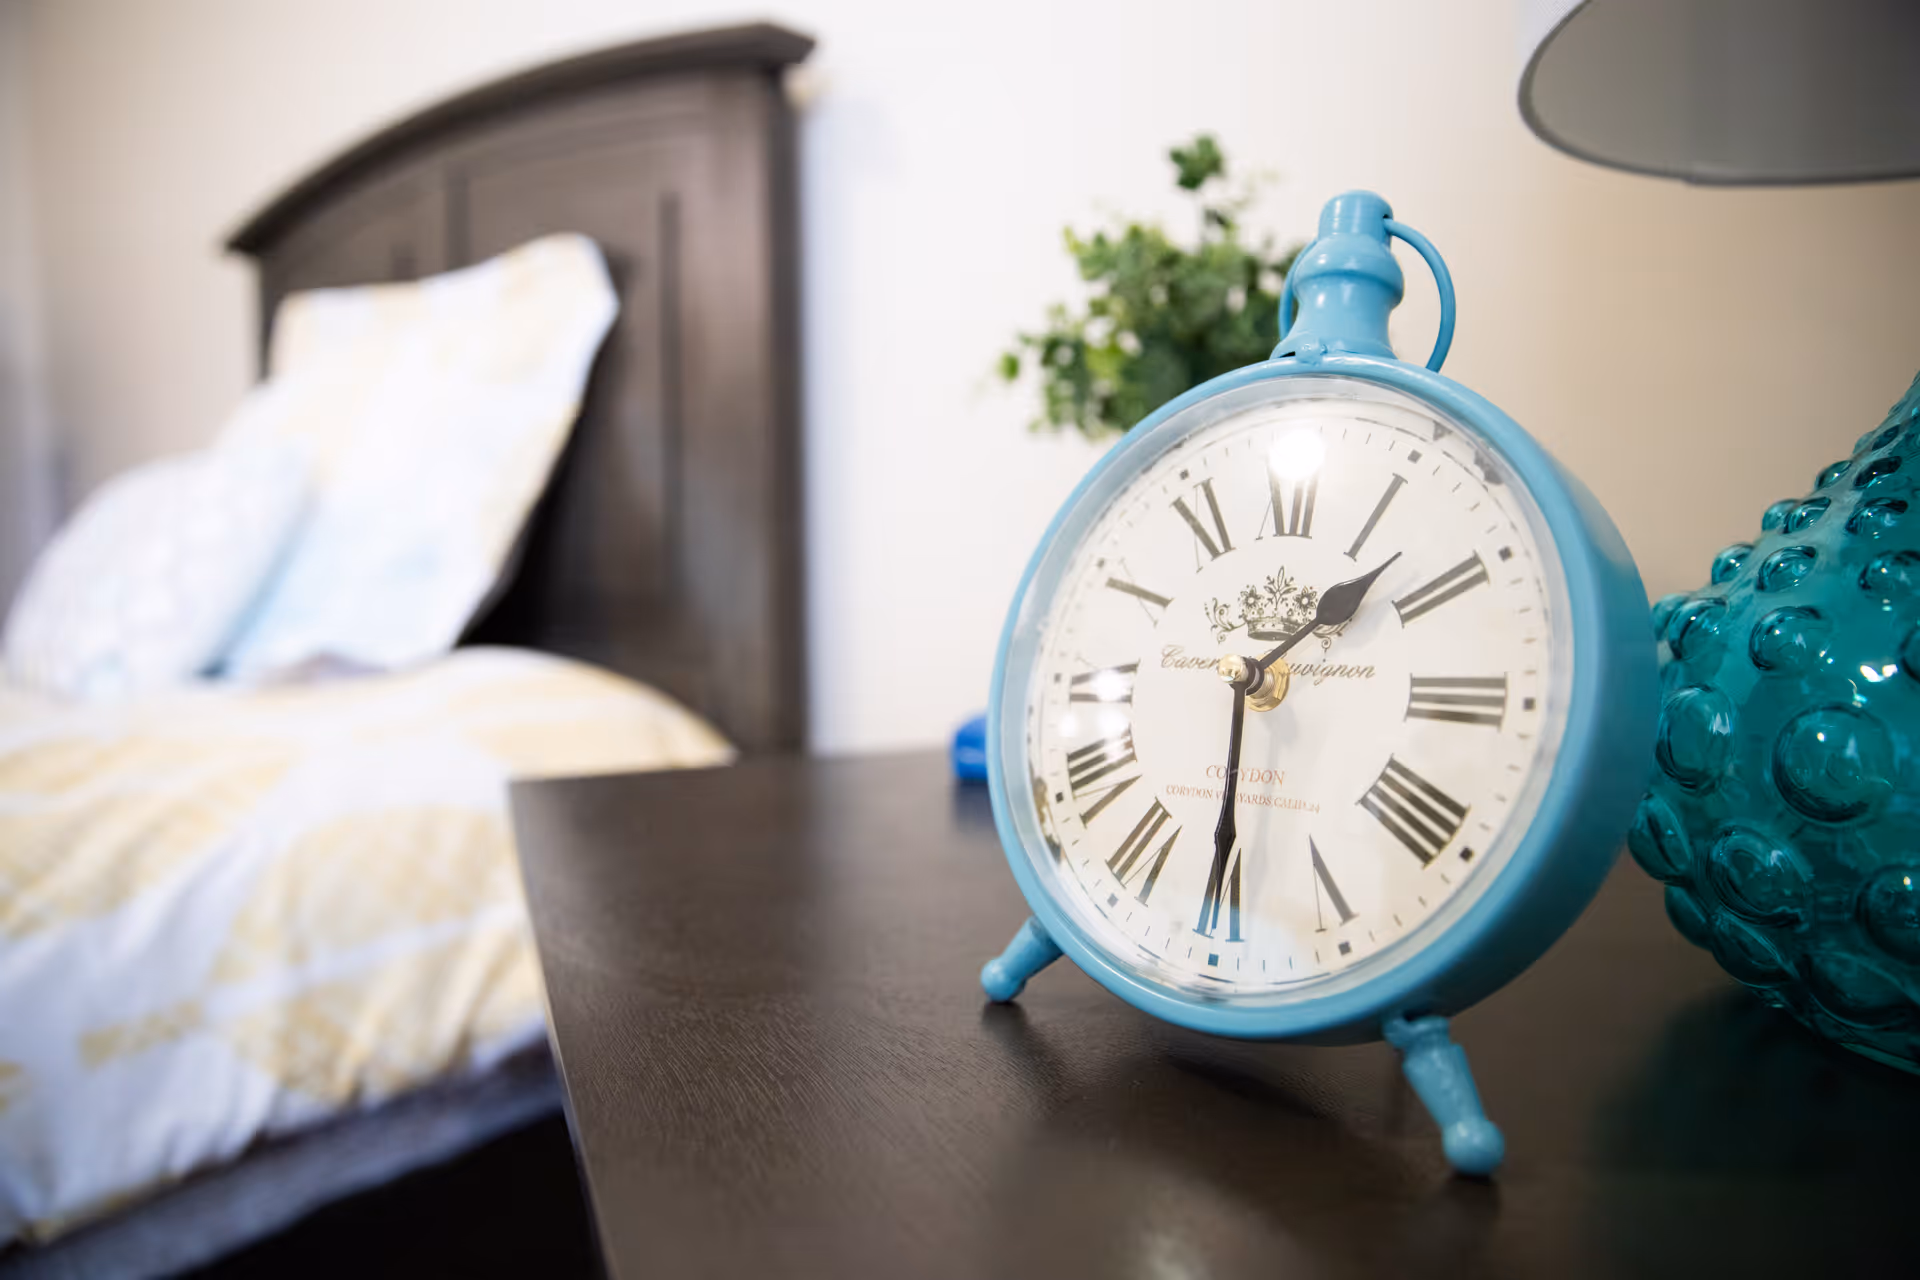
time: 1:30
